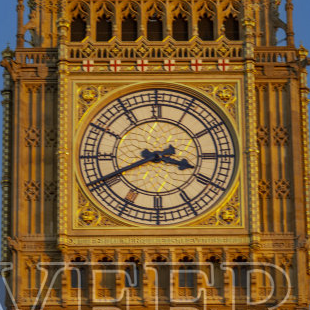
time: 3:40
